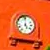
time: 4:59
